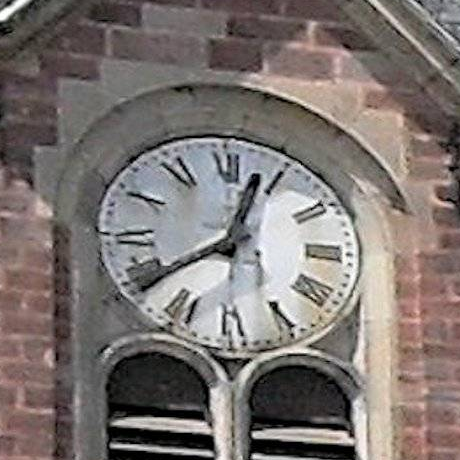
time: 12:39
